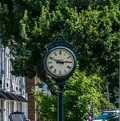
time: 2:49
